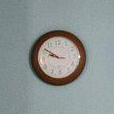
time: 9:51
